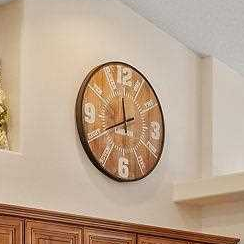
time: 11:40
